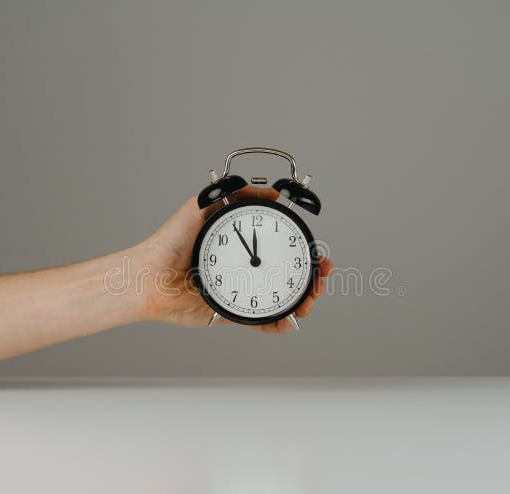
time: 11:54
